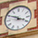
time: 3:49
